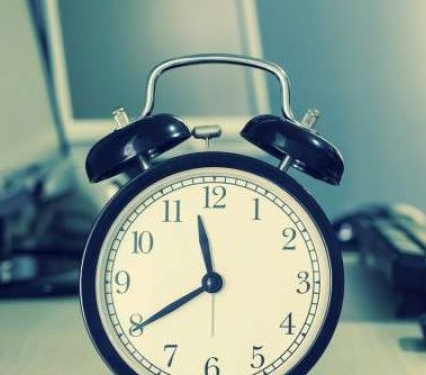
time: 11:39
